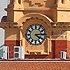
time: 4:14
